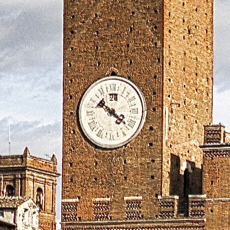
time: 10:21
